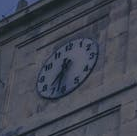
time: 7:32
